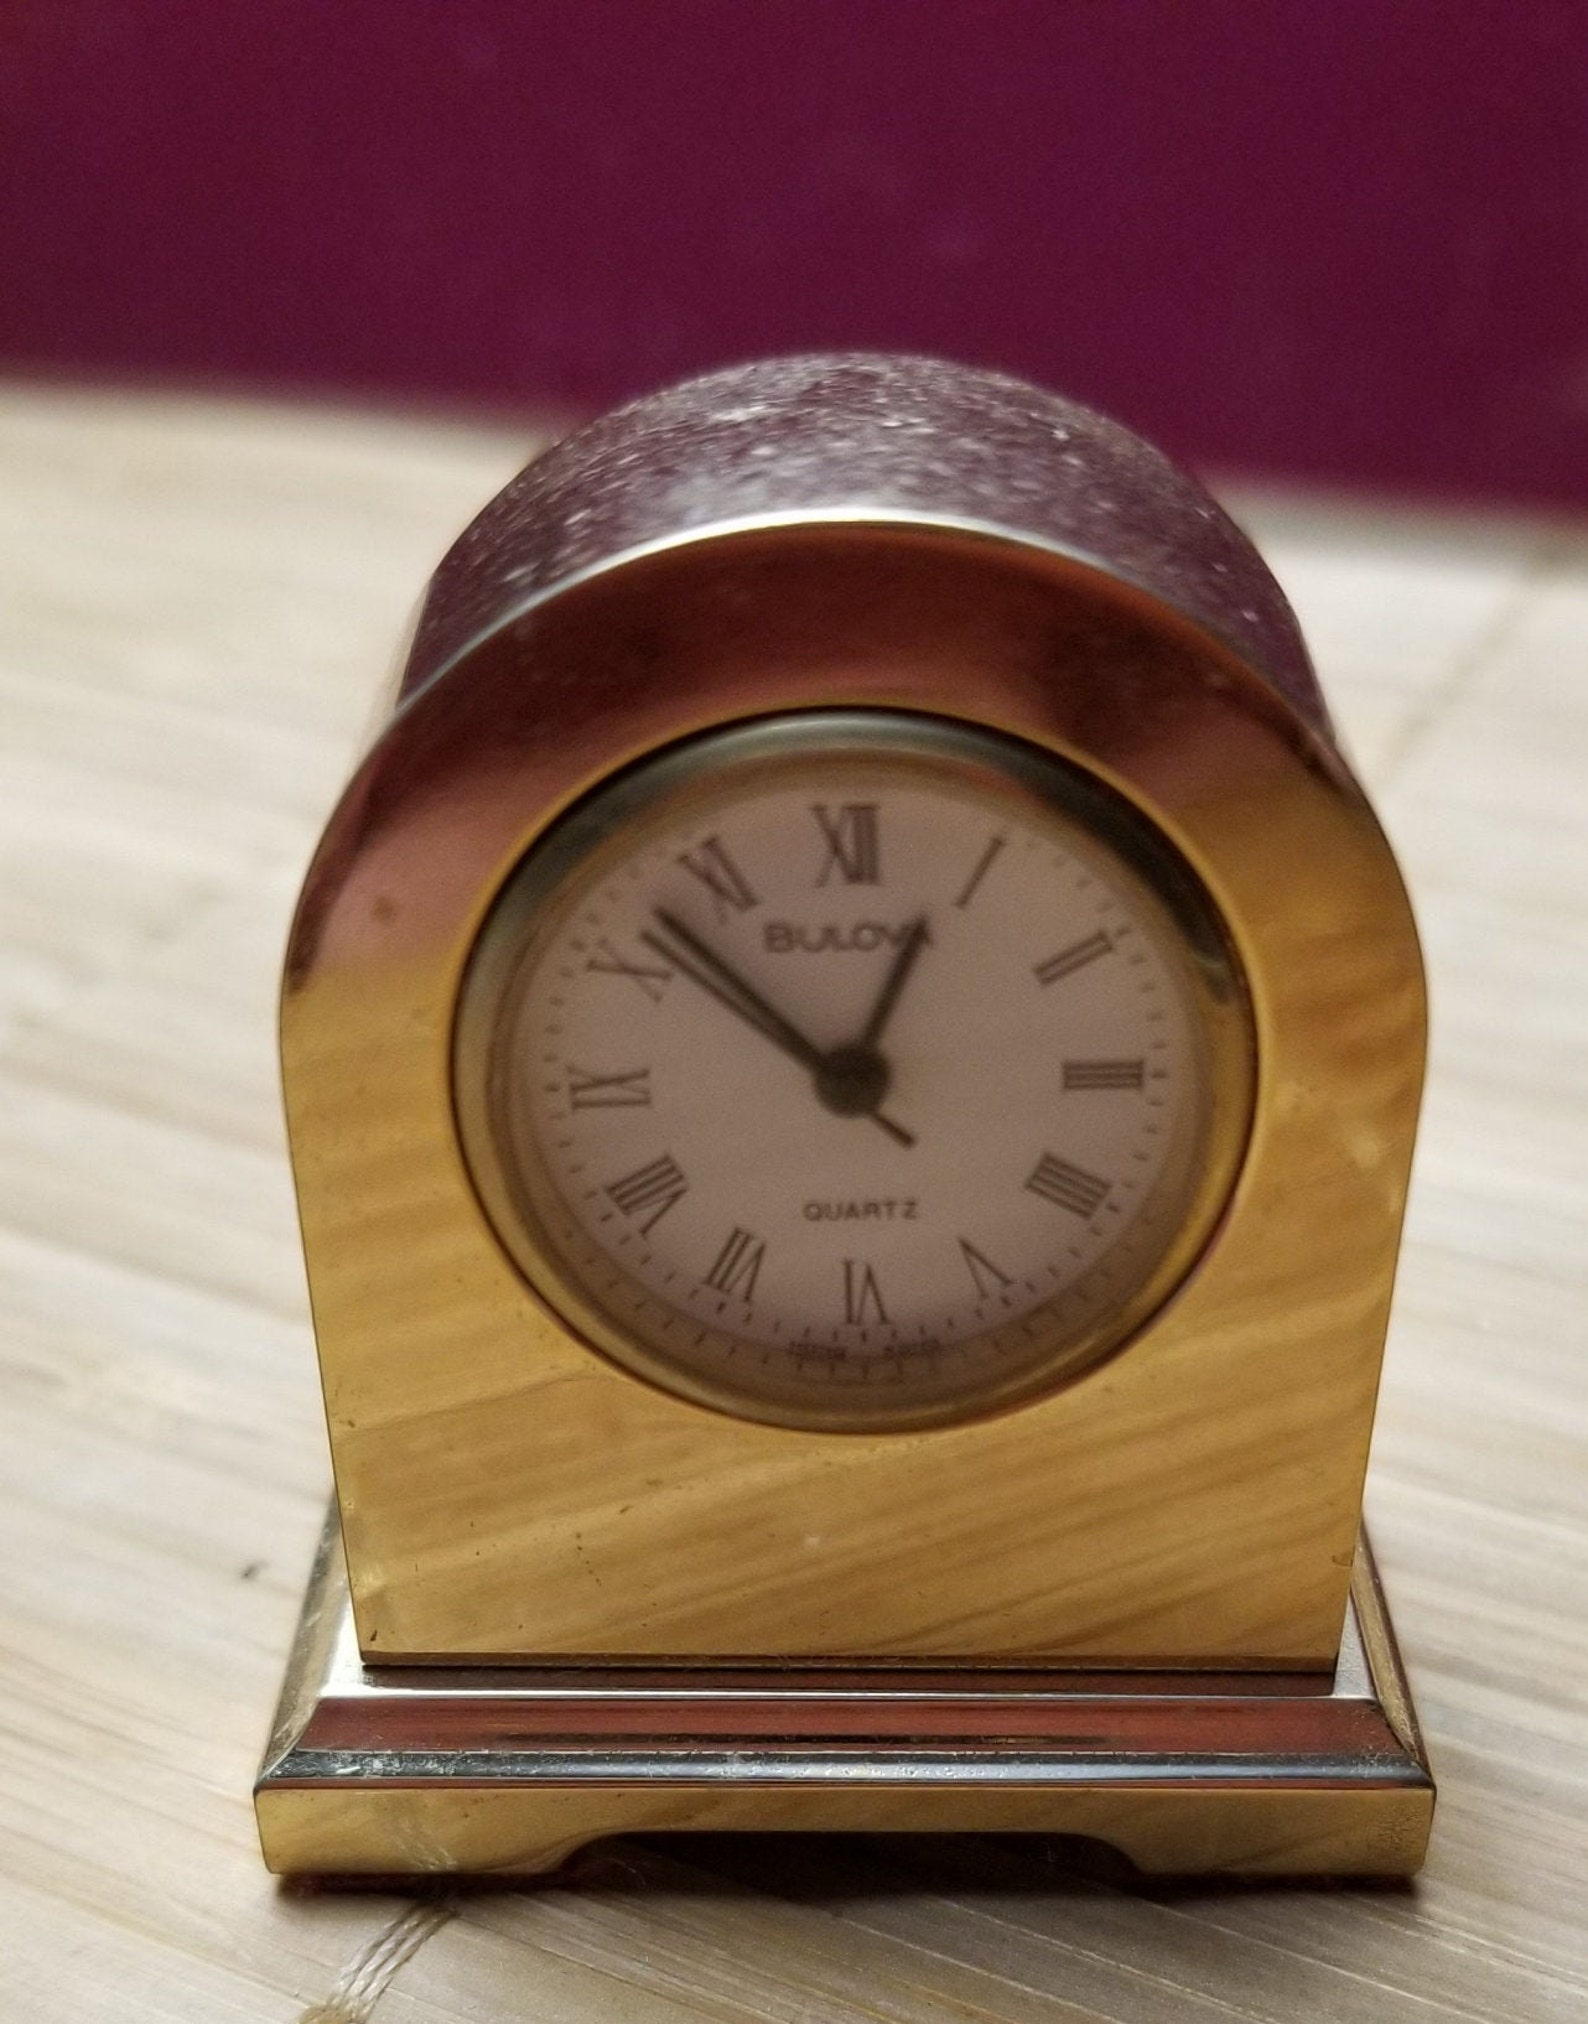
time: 12:52
